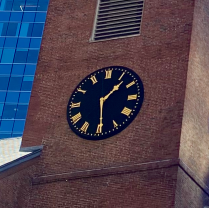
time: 1:29
